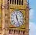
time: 11:26
